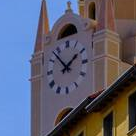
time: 1:52
